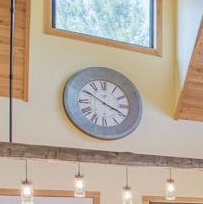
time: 3:50
